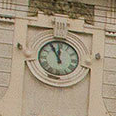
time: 11:55
